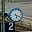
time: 5:18
